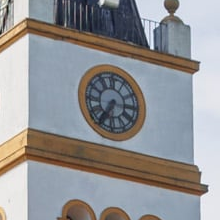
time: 7:15
